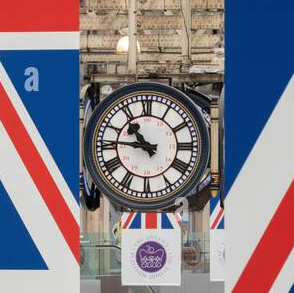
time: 10:45
